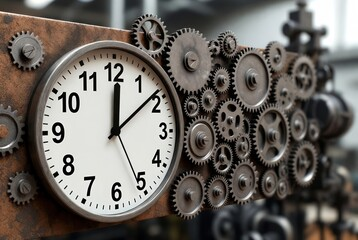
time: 12:08
